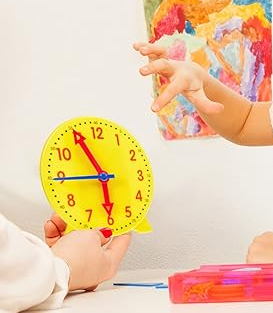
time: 5:55
